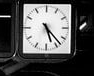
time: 5:23
